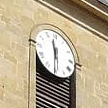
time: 11:30
